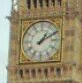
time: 1:10
